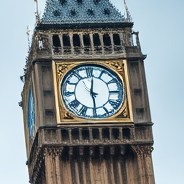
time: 6:01
